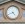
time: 4:41
